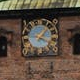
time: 1:18
